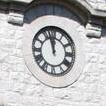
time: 11:57
